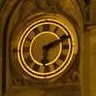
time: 6:11
